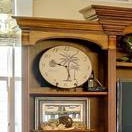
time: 9:27
